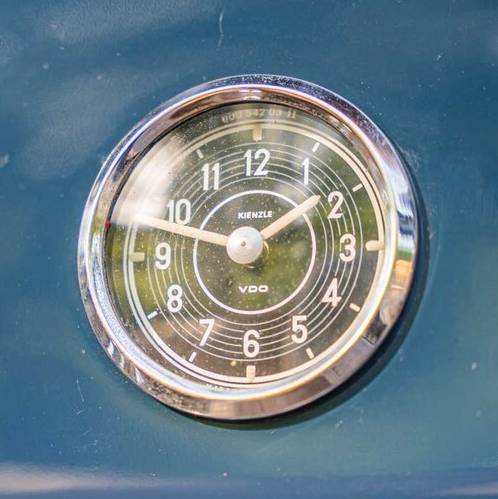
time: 1:47
